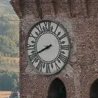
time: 7:40
